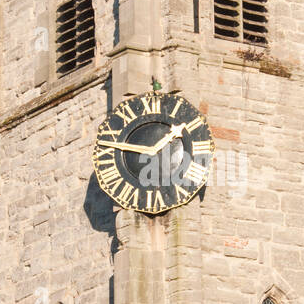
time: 1:47
